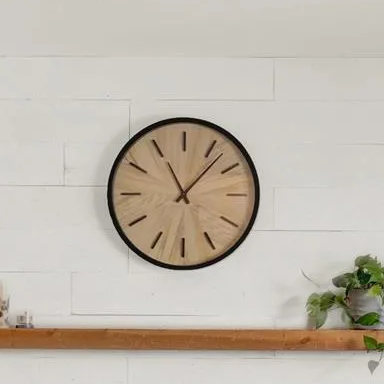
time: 11:07
